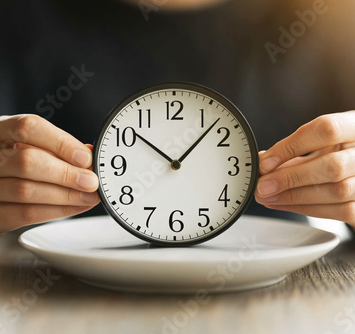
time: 10:07
